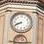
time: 8:41
